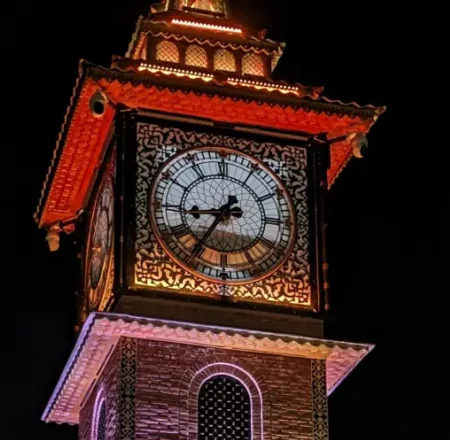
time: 8:35
